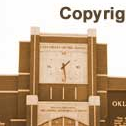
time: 1:28
